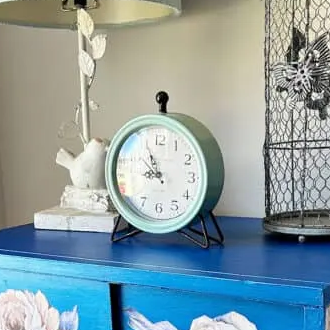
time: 8:54
